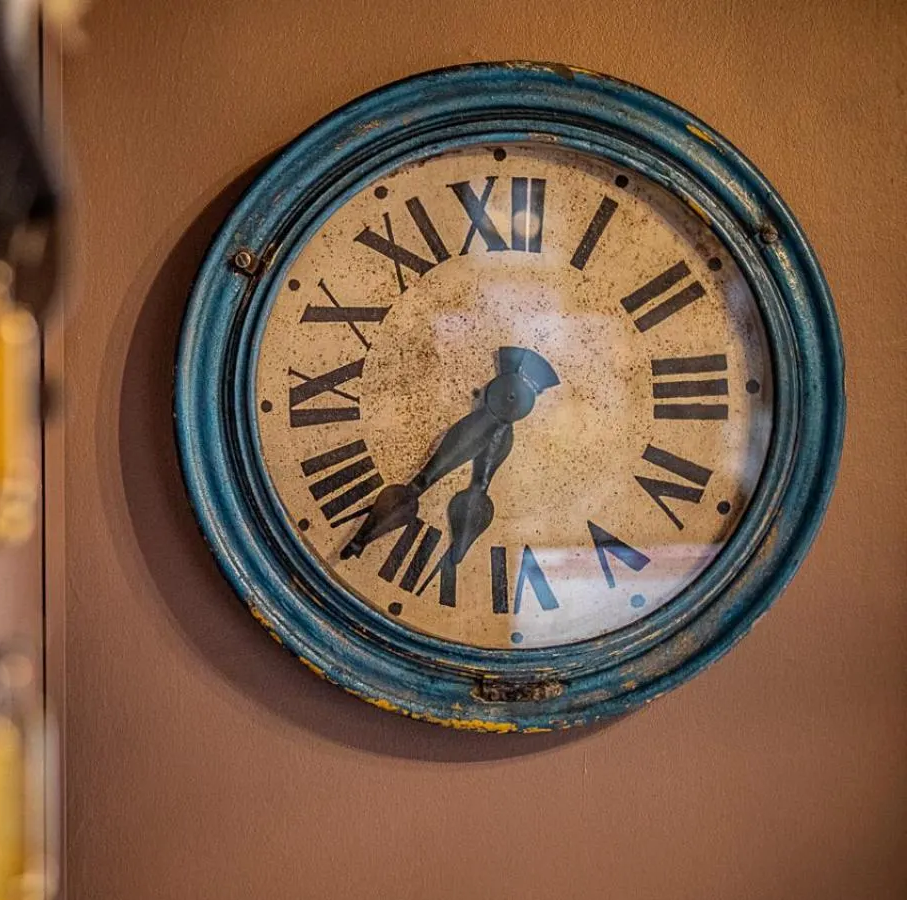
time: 6:37
